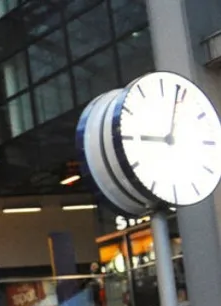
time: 9:03
